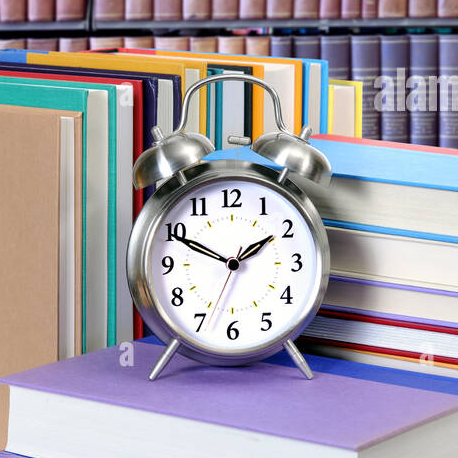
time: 1:50
